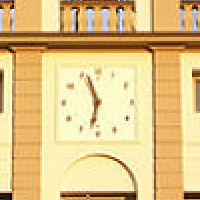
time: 11:32
